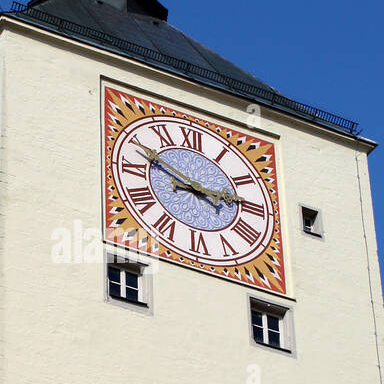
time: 2:49
